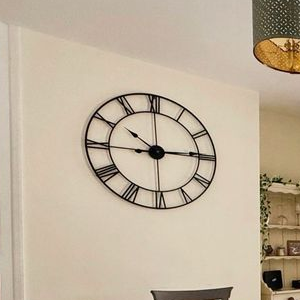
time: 10:14
